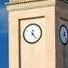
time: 12:23
